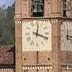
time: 12:18
